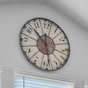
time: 10:28
